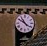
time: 10:50
